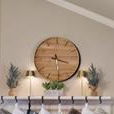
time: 3:29
